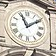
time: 11:09
